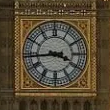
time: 3:43
